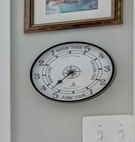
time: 7:37
